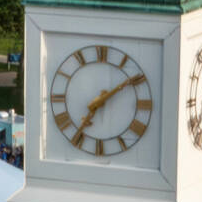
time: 7:09
